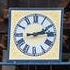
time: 2:13
